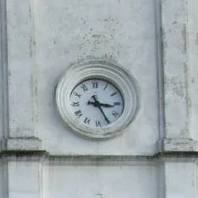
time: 3:25
